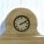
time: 2:09
